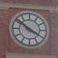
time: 3:51
